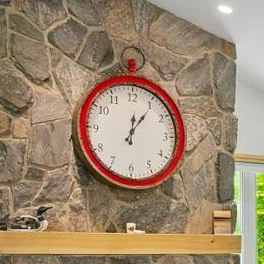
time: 12:05
